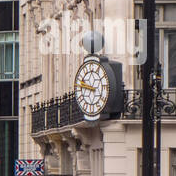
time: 9:47
